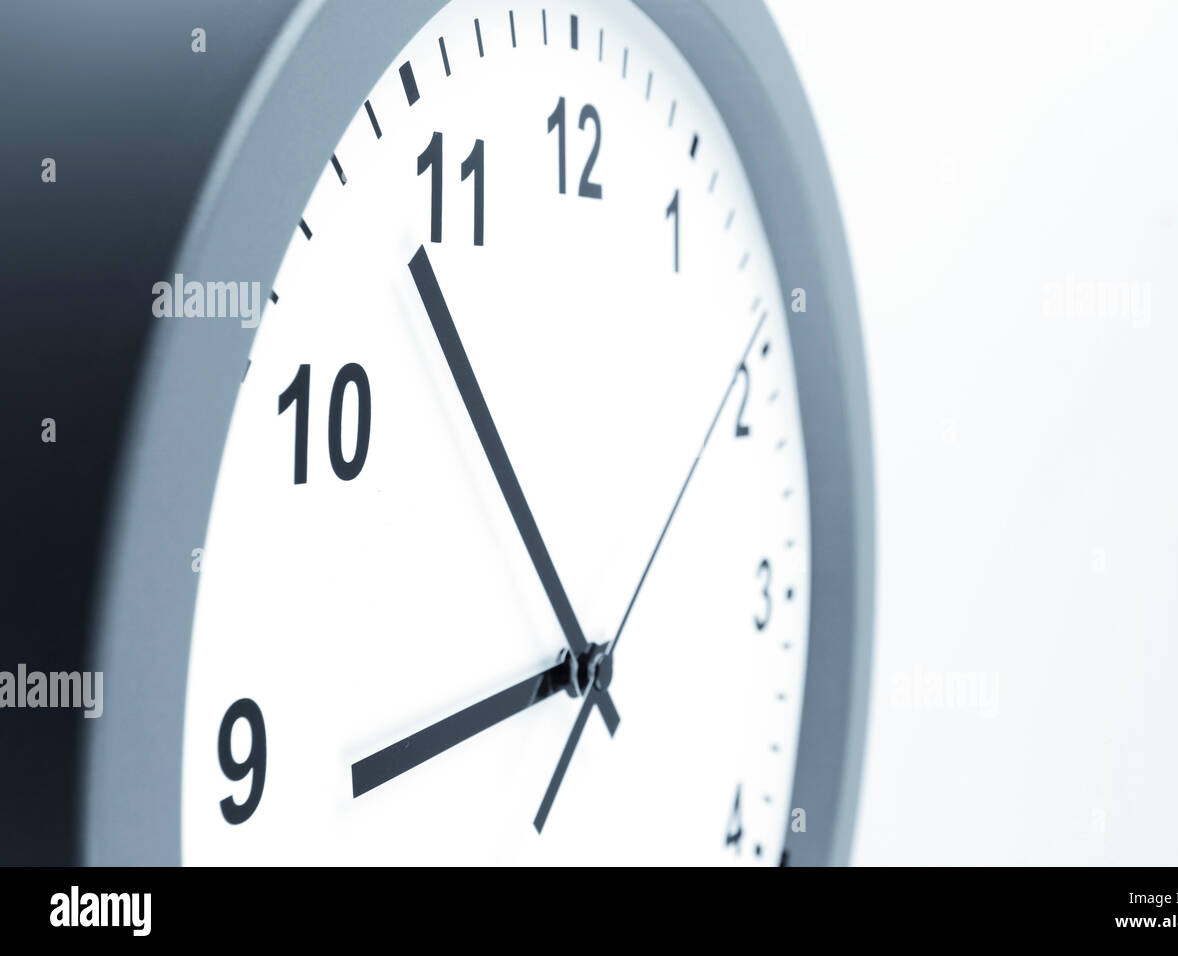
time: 8:53
